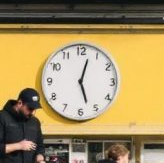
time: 12:27
